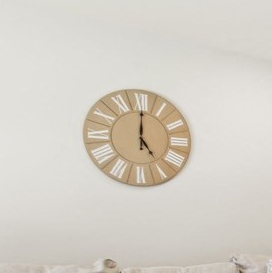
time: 5:00
